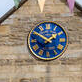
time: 1:50
